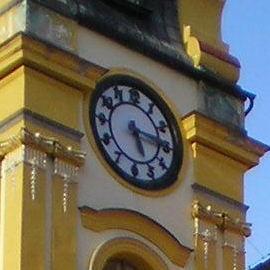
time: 5:15
